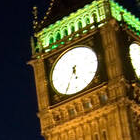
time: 5:35
